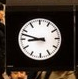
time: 8:47
